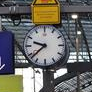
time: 9:38
